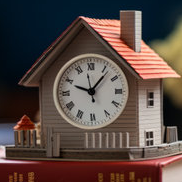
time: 10:06
